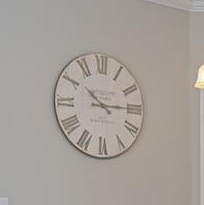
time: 10:14
